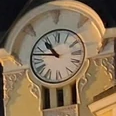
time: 10:47
